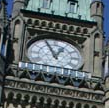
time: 12:55
